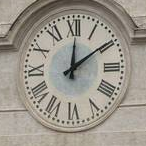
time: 12:09
